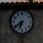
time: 6:39
